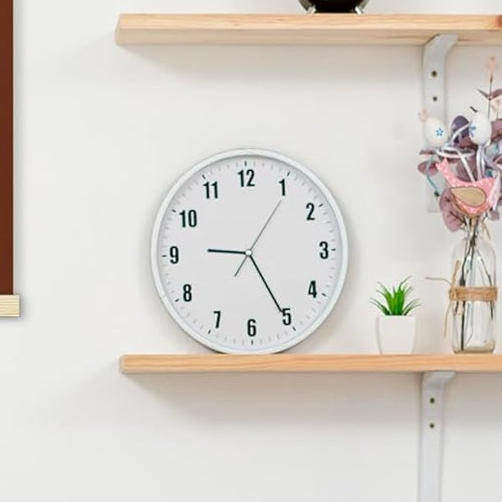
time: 9:25
